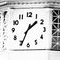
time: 1:34
